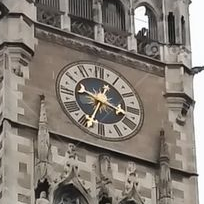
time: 3:33
